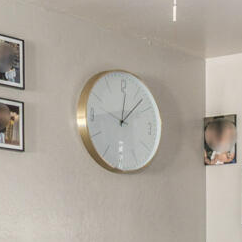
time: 12:07
